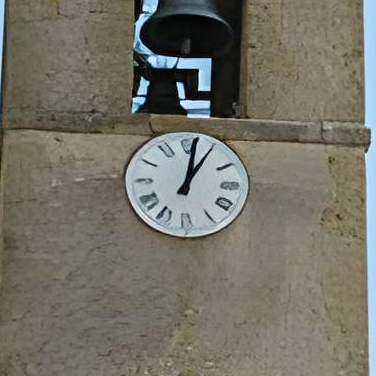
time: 1:01
